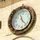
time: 11:22
